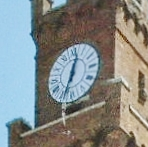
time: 12:33
